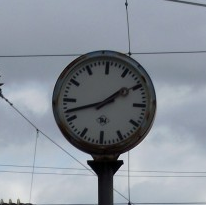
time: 1:42
